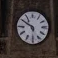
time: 5:50
